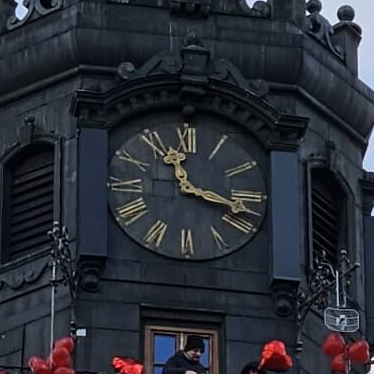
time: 11:17
